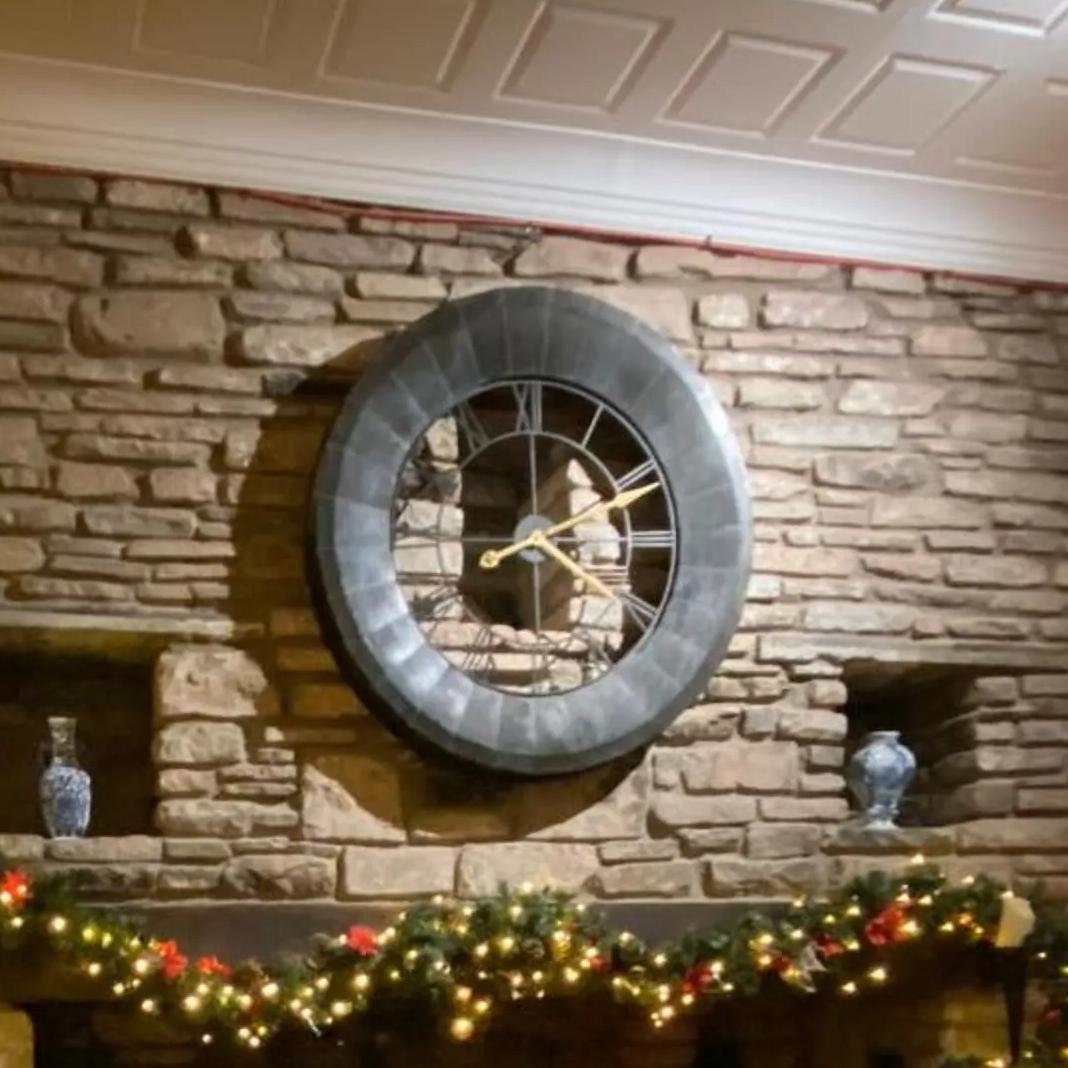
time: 8:11
